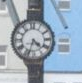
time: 4:33
